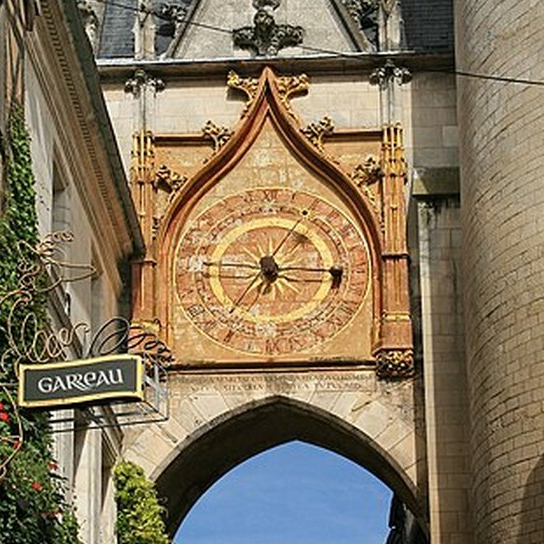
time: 7:15
